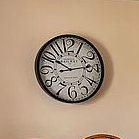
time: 10:13
